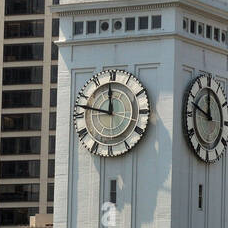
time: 11:47
